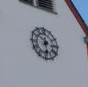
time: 5:50
